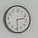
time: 2:29
